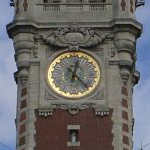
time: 12:23
